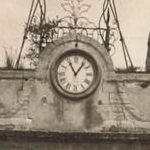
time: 11:06
